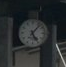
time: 5:06
